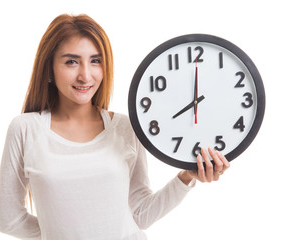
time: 8:00
